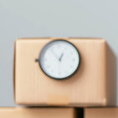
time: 12:53
